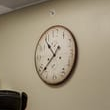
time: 10:38
